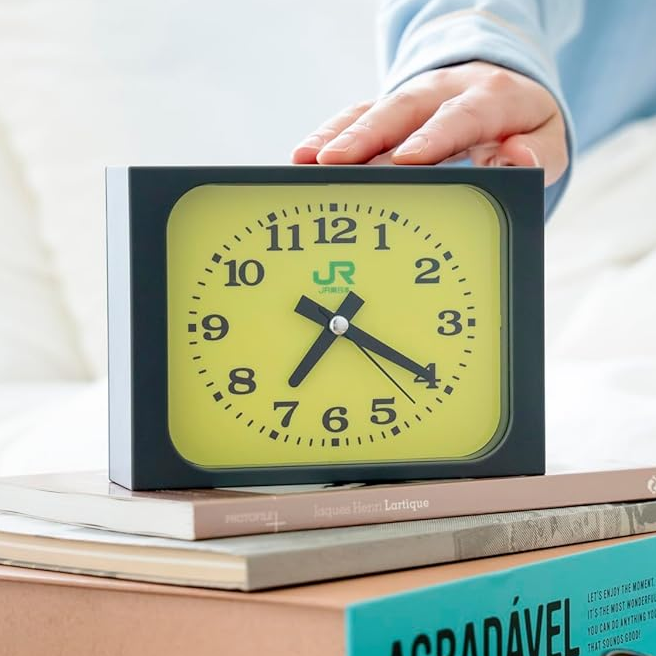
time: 7:19
